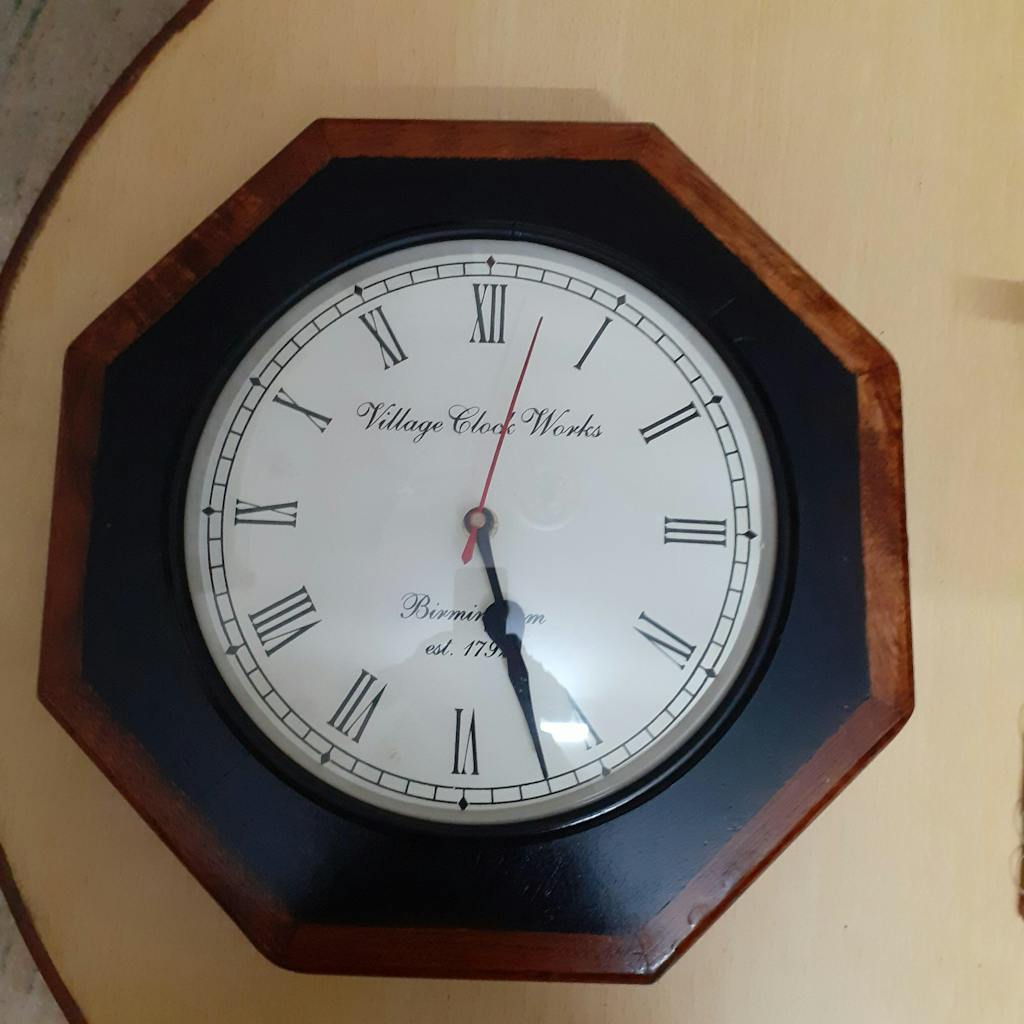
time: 5:26
